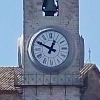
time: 12:49
